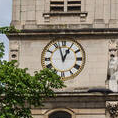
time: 12:57
